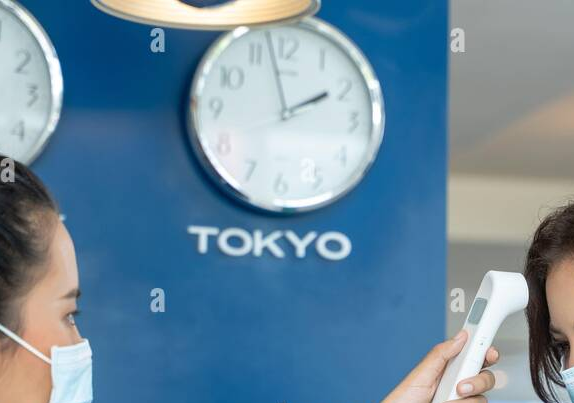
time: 1:57
